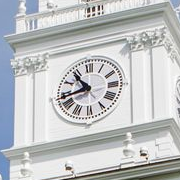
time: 10:43
